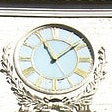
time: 11:08
